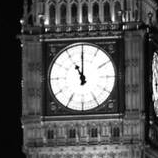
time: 10:59
